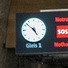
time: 4:52
